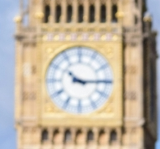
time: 10:14
